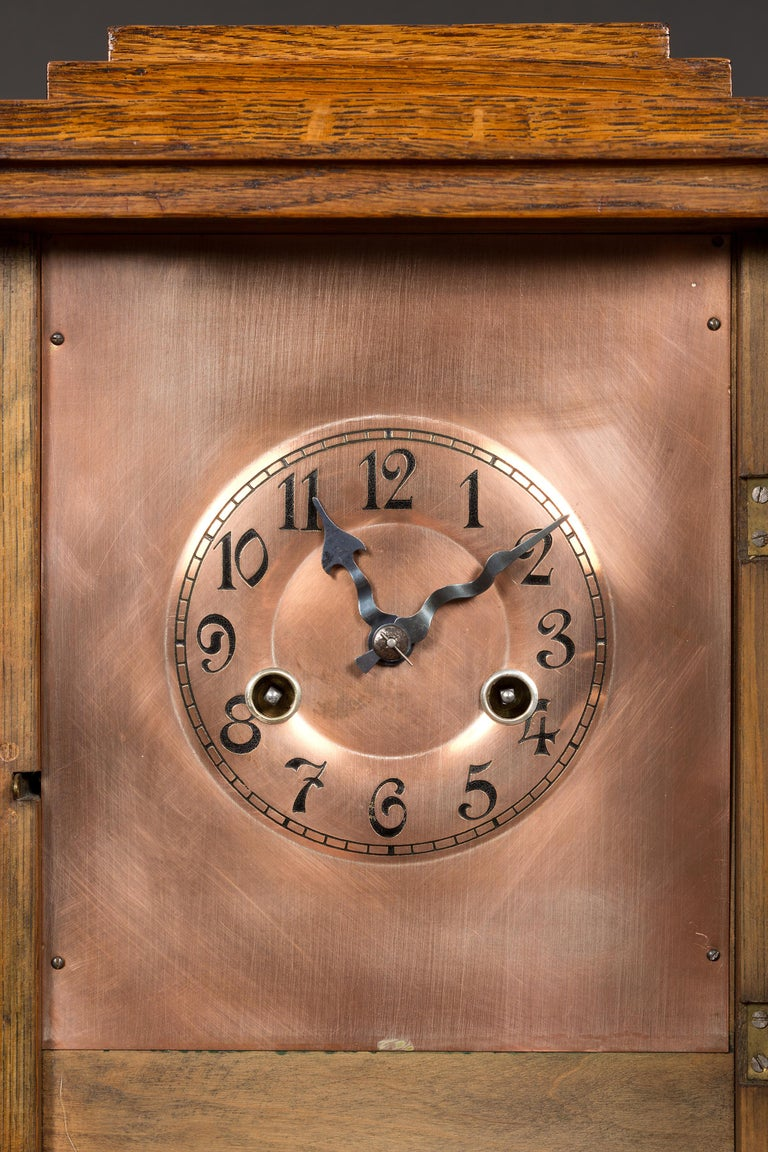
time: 11:09
